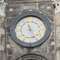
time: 11:25
